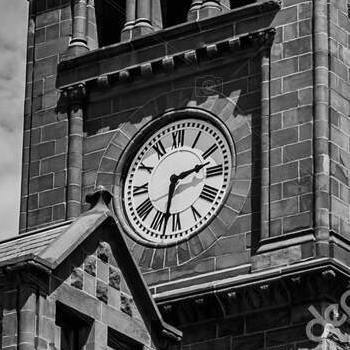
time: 2:32
